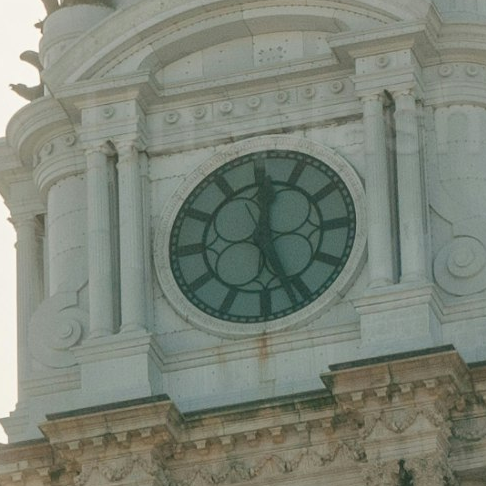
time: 12:26
